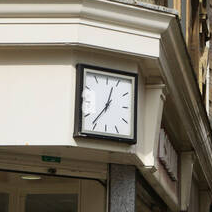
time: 12:36
